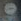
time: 2:42
